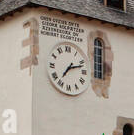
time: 7:12
